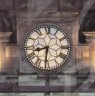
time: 8:31
